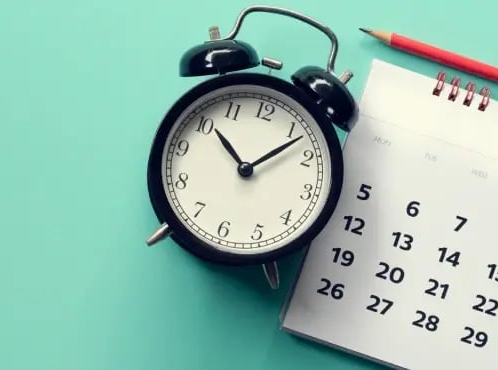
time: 10:07
